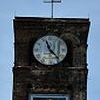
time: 11:23
